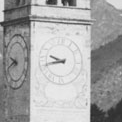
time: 9:42
